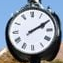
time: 2:09
